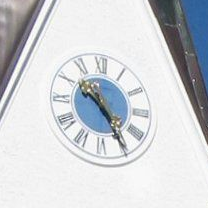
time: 10:24
